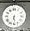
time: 6:28
